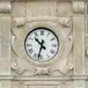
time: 10:32
